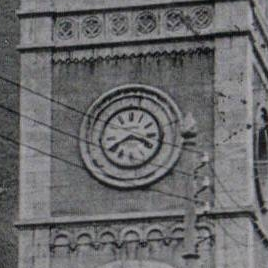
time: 3:40
